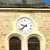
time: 9:38
